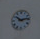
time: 10:13
